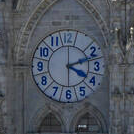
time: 4:12
